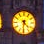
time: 4:31
